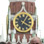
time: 1:20
